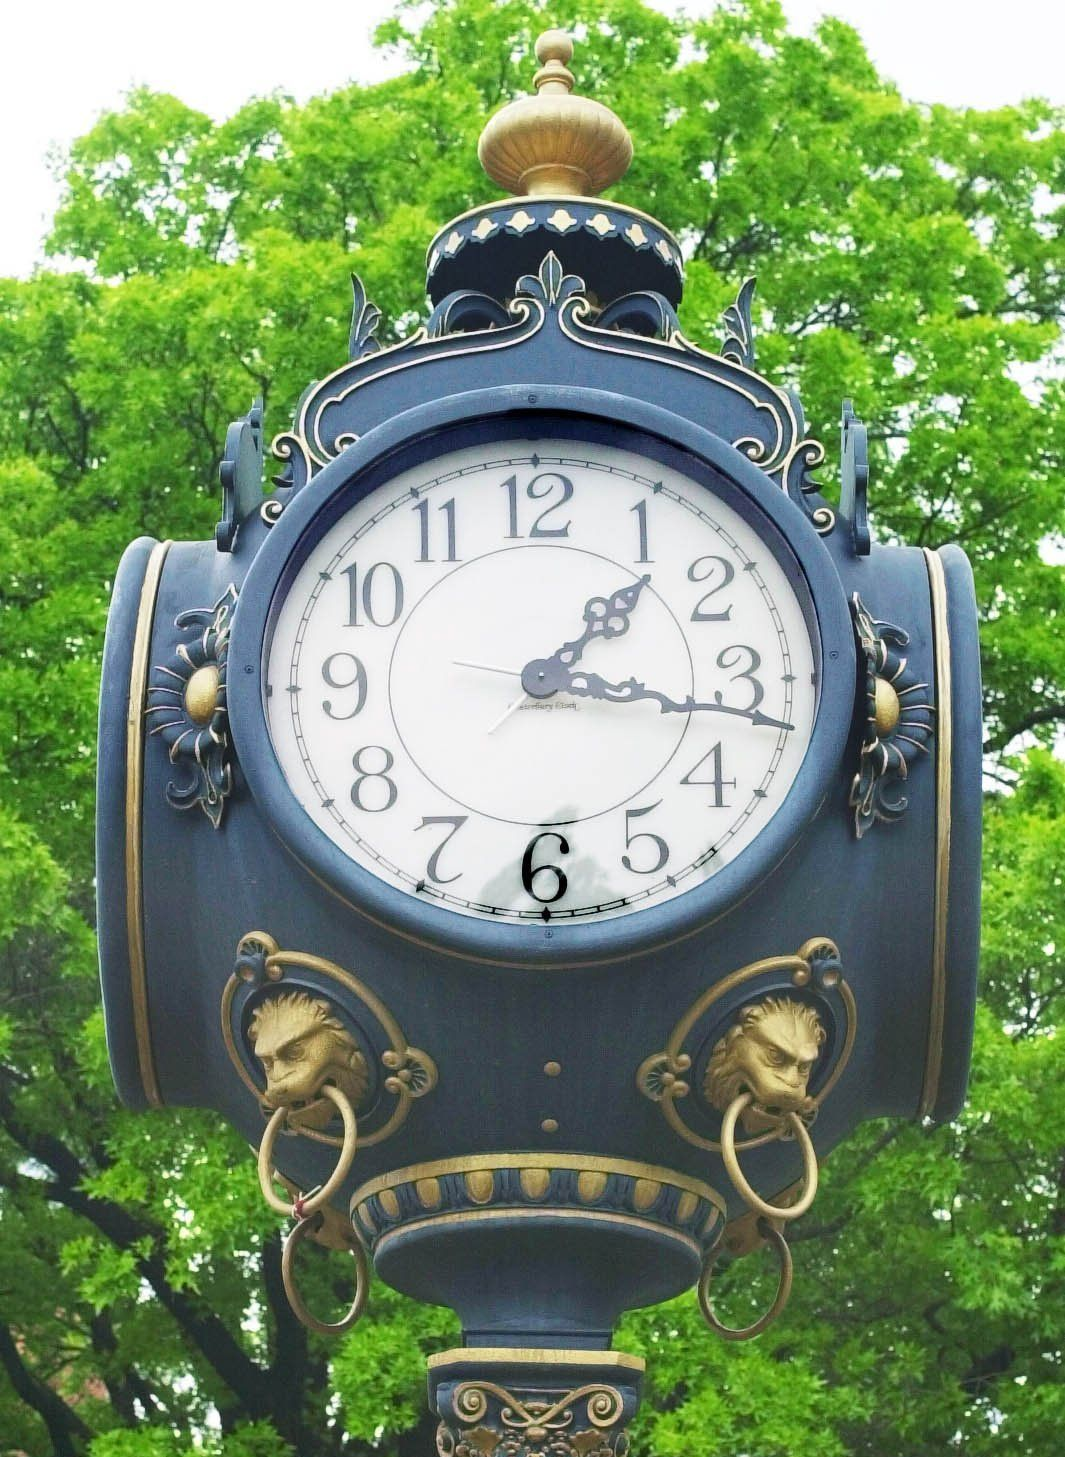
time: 1:17
